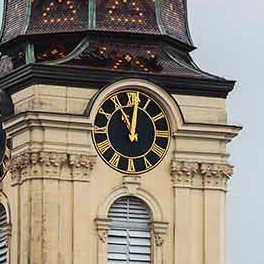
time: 11:01
